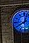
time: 12:40
